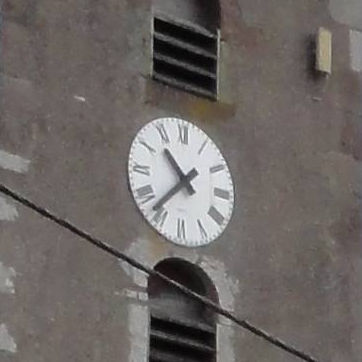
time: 10:36
